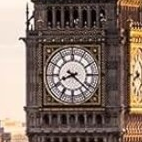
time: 8:21
